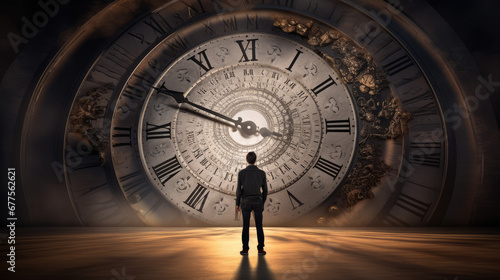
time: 5:49
